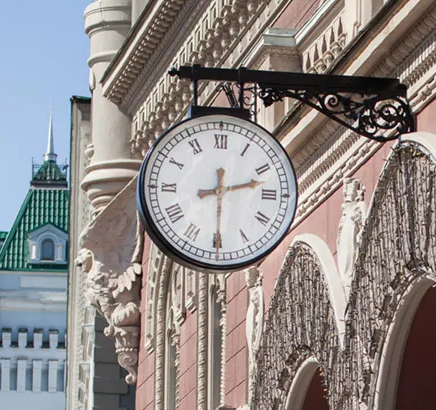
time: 2:29
